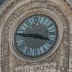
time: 3:46
